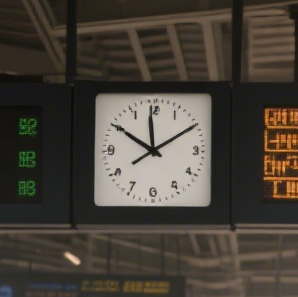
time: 11:50
